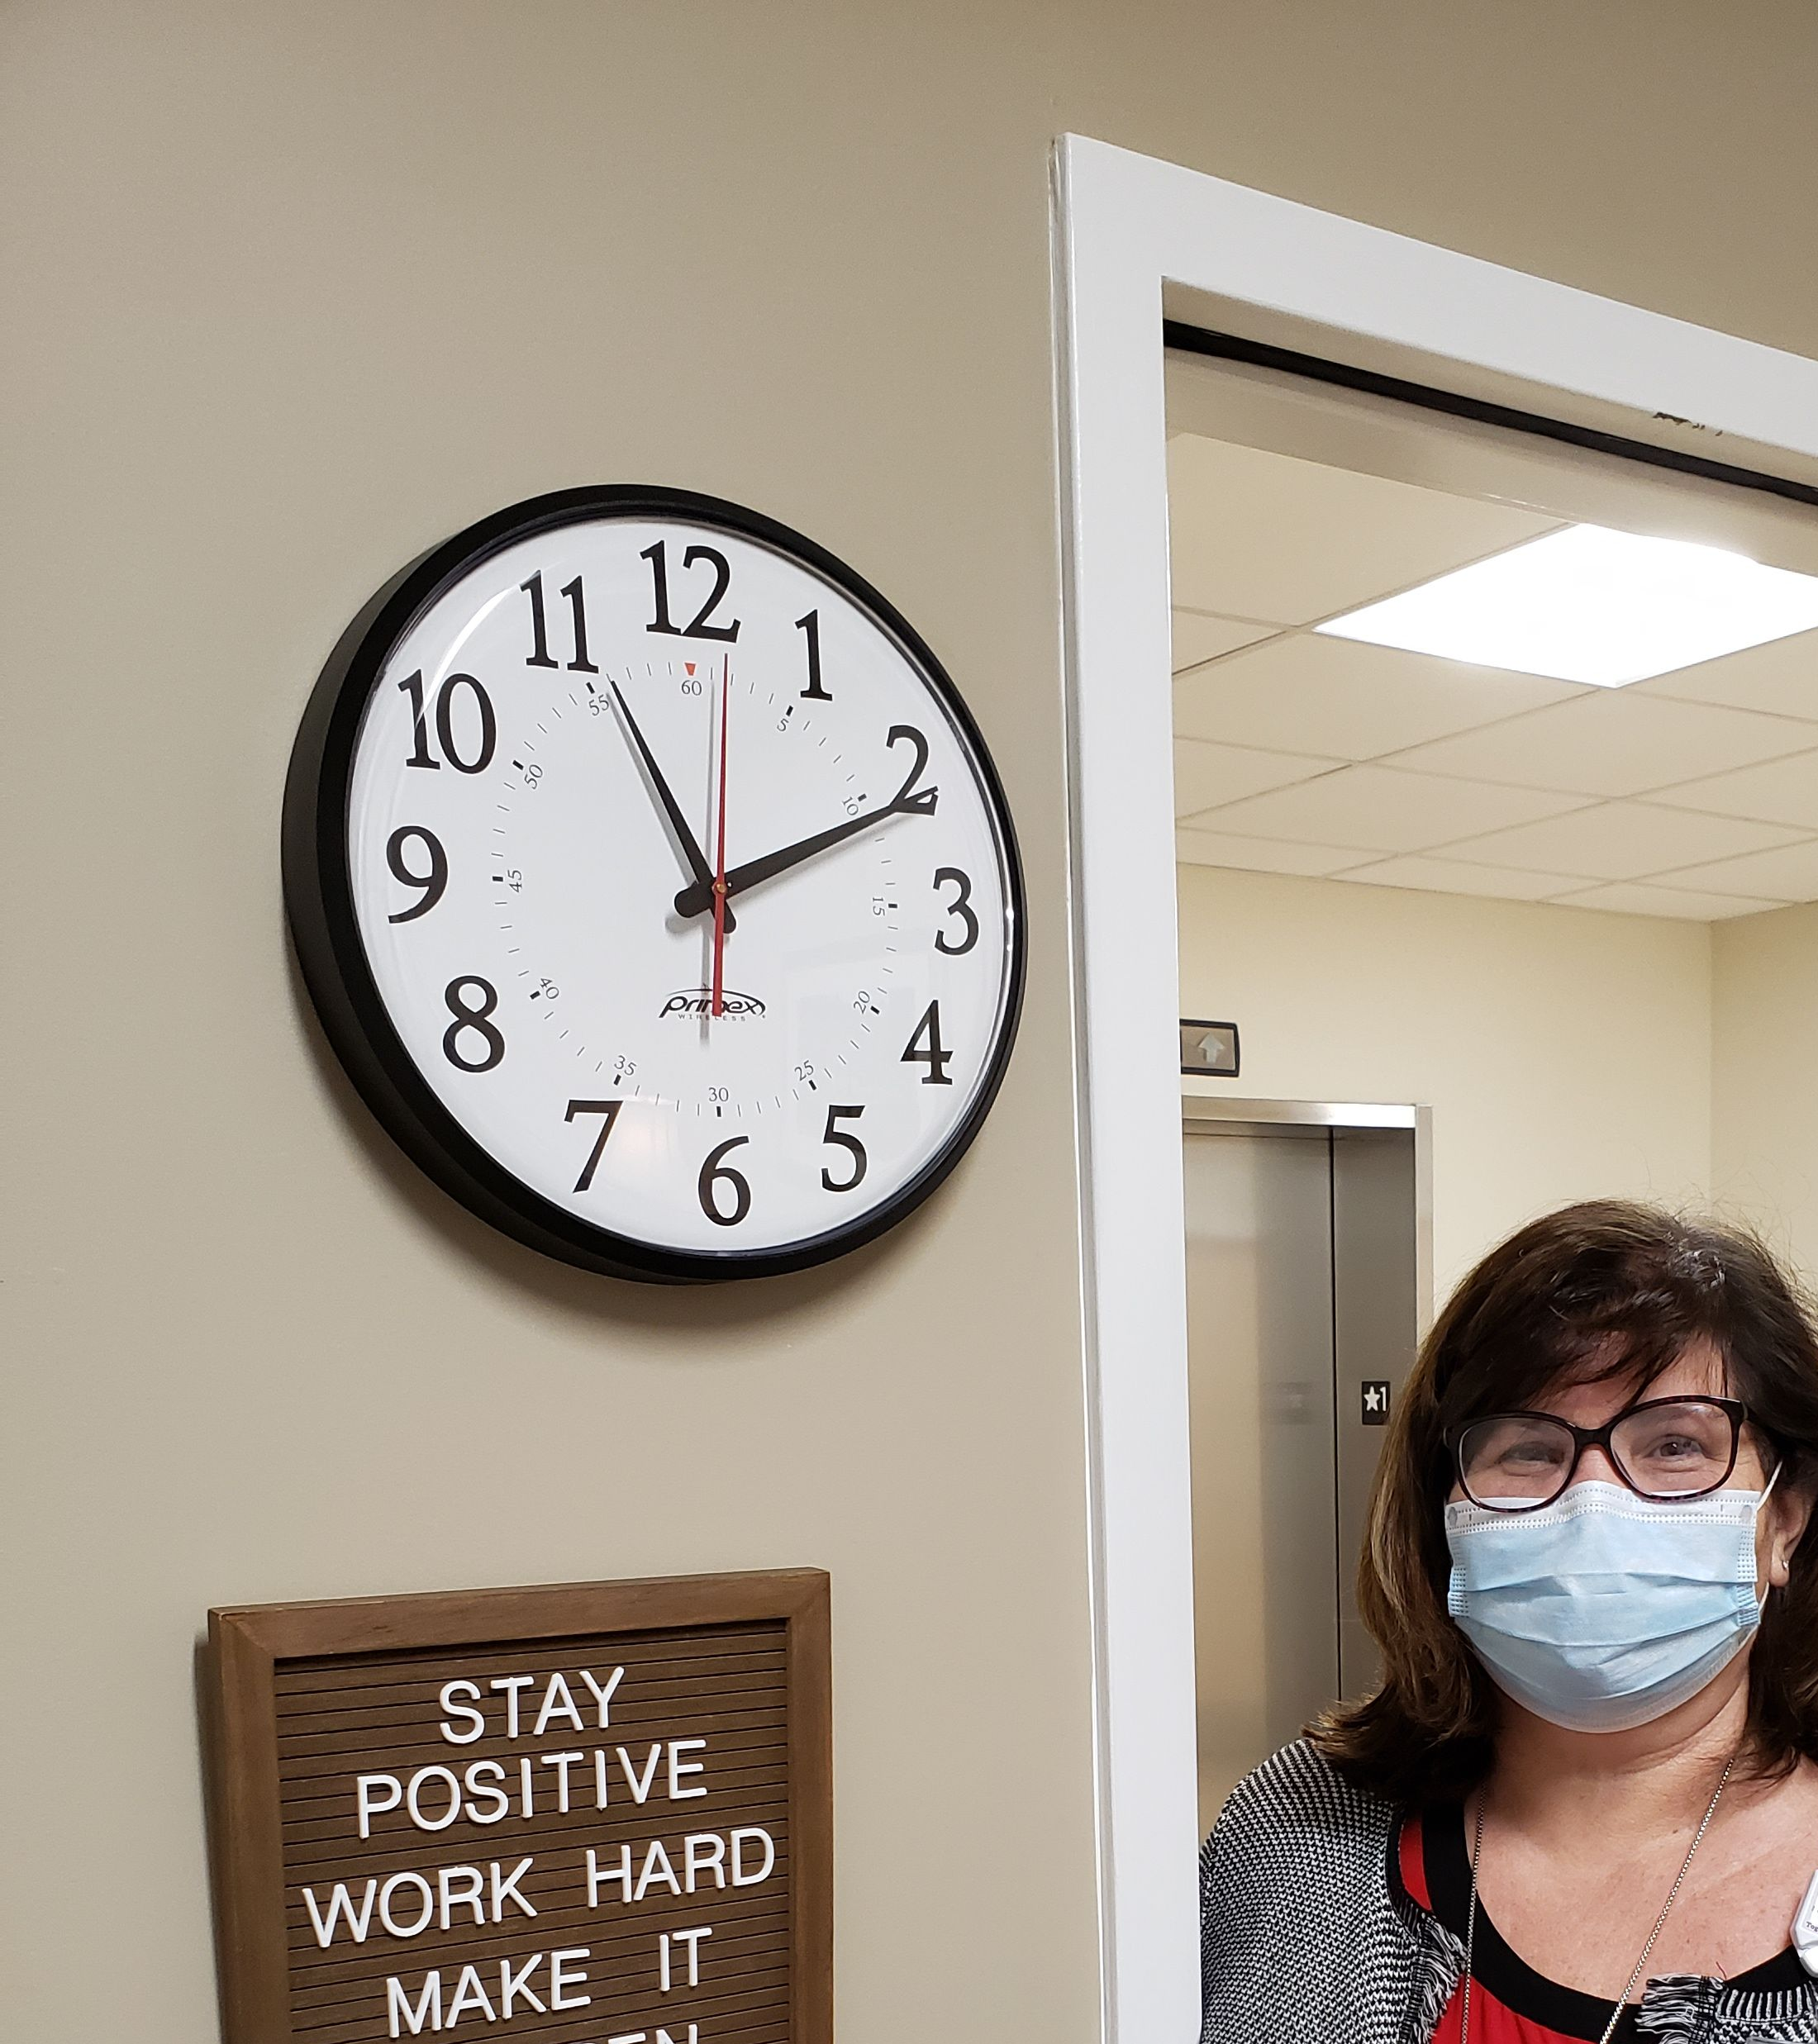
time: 11:10
